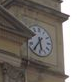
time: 5:35
